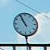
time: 10:55
